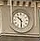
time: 10:30
